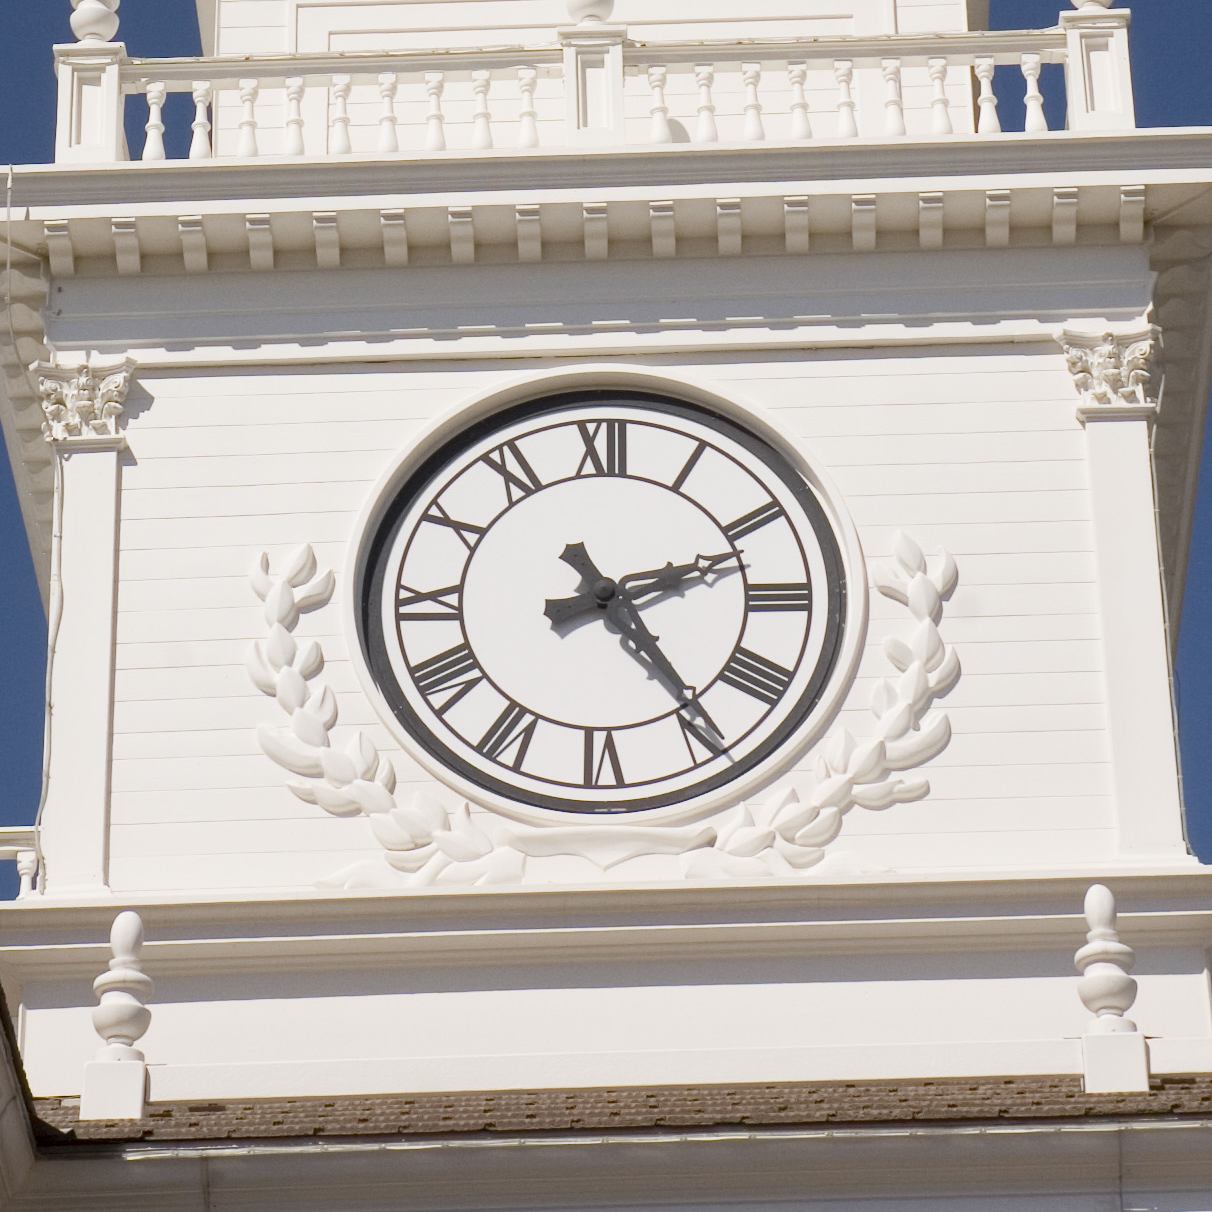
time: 2:24
